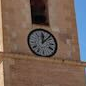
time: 12:07
